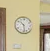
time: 10:28
